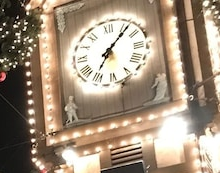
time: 7:07
